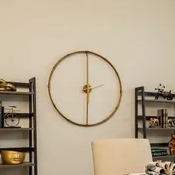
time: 6:00
